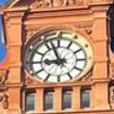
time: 8:56
